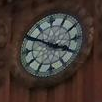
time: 3:50
